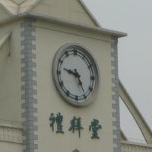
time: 9:25
